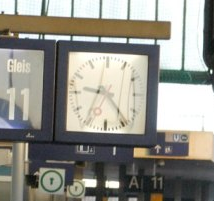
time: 9:23
